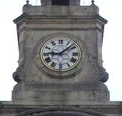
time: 9:08
